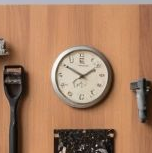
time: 1:50
